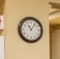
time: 11:06
